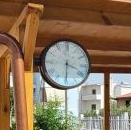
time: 3:29
